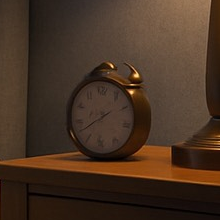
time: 8:38
